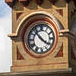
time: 3:52
